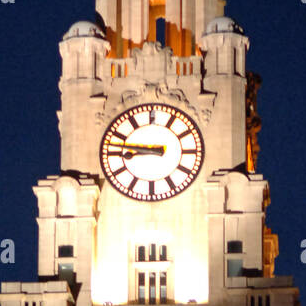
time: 8:46
